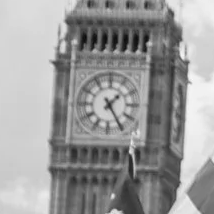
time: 1:24
